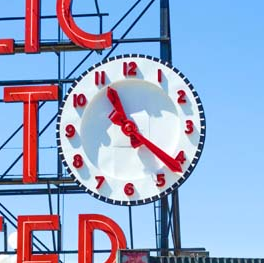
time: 11:21
